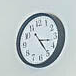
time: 3:24
